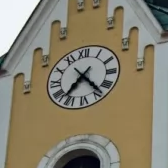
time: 7:23
